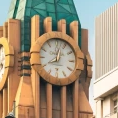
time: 8:02
